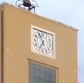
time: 6:55
